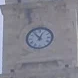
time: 12:53
